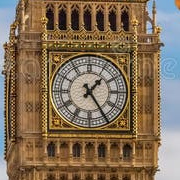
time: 1:24
